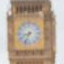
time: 8:33
